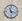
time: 11:17
